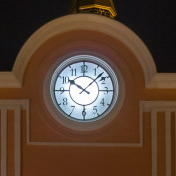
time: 10:07
